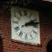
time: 2:12
